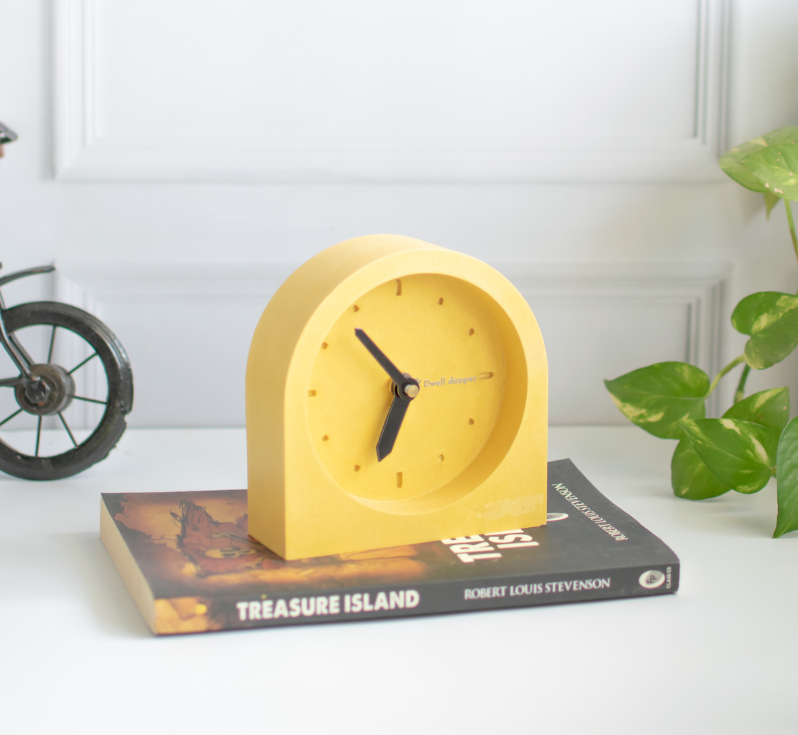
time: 6:53
